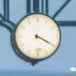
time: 3:19
